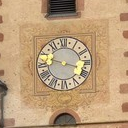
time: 3:47
